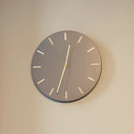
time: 12:33
